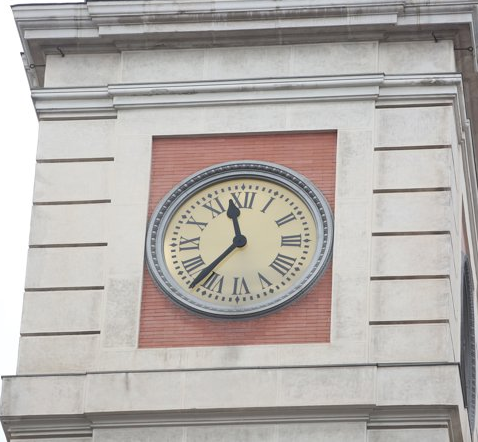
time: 11:36
